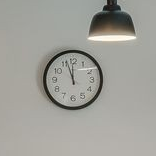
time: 11:56
